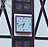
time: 6:41
